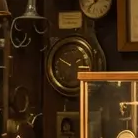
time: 9:49
